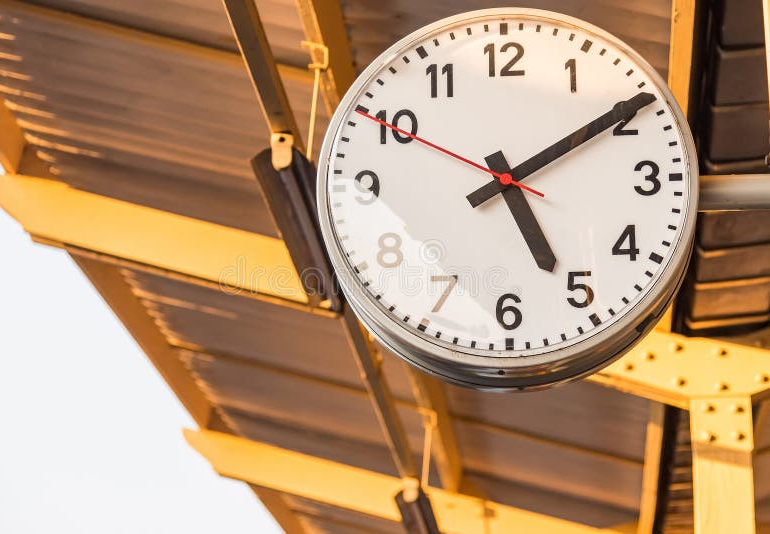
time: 5:09
